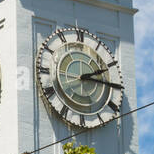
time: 2:15
